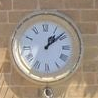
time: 1:08
